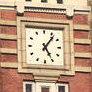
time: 5:06
